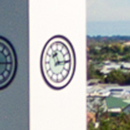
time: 11:14
